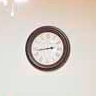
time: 8:43
